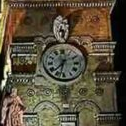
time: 7:32
